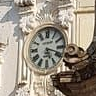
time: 5:18
